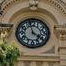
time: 3:57
